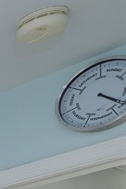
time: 4:20
